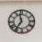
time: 11:35
